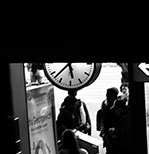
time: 5:37
